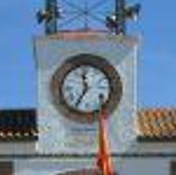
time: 11:35
